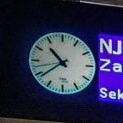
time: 10:38
